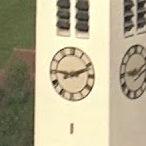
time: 9:11
